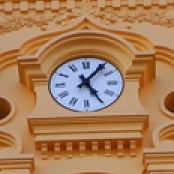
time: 5:06
